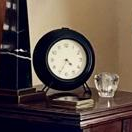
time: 4:34
